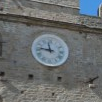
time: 11:46
